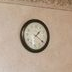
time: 1:20
